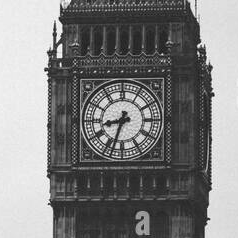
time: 8:33
